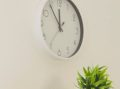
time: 11:54
